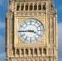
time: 3:44
